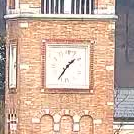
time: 1:36
